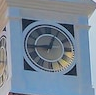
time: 12:44
